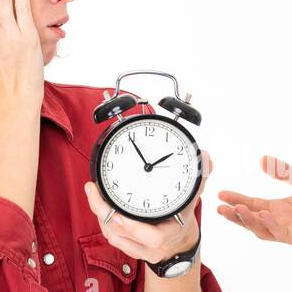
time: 1:54
